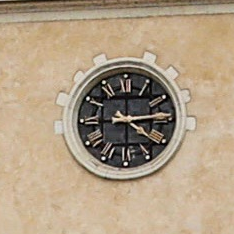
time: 4:14
